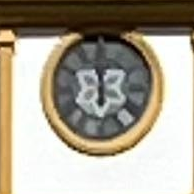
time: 5:59
